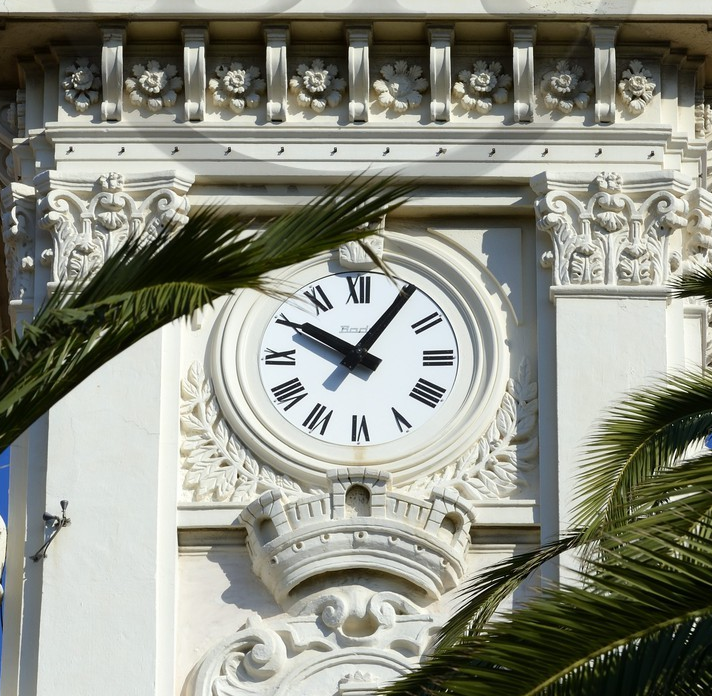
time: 10:05
